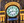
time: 8:16
